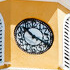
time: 10:19
